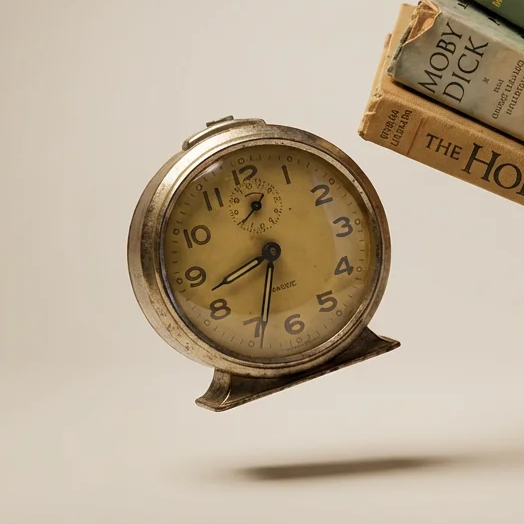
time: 8:33
